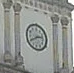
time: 2:40
